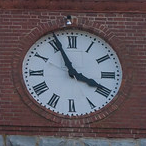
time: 3:55
